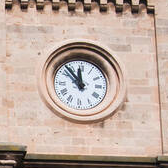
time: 11:52
